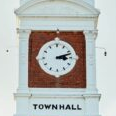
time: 3:12
